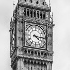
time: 4:16
